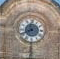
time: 11:40
